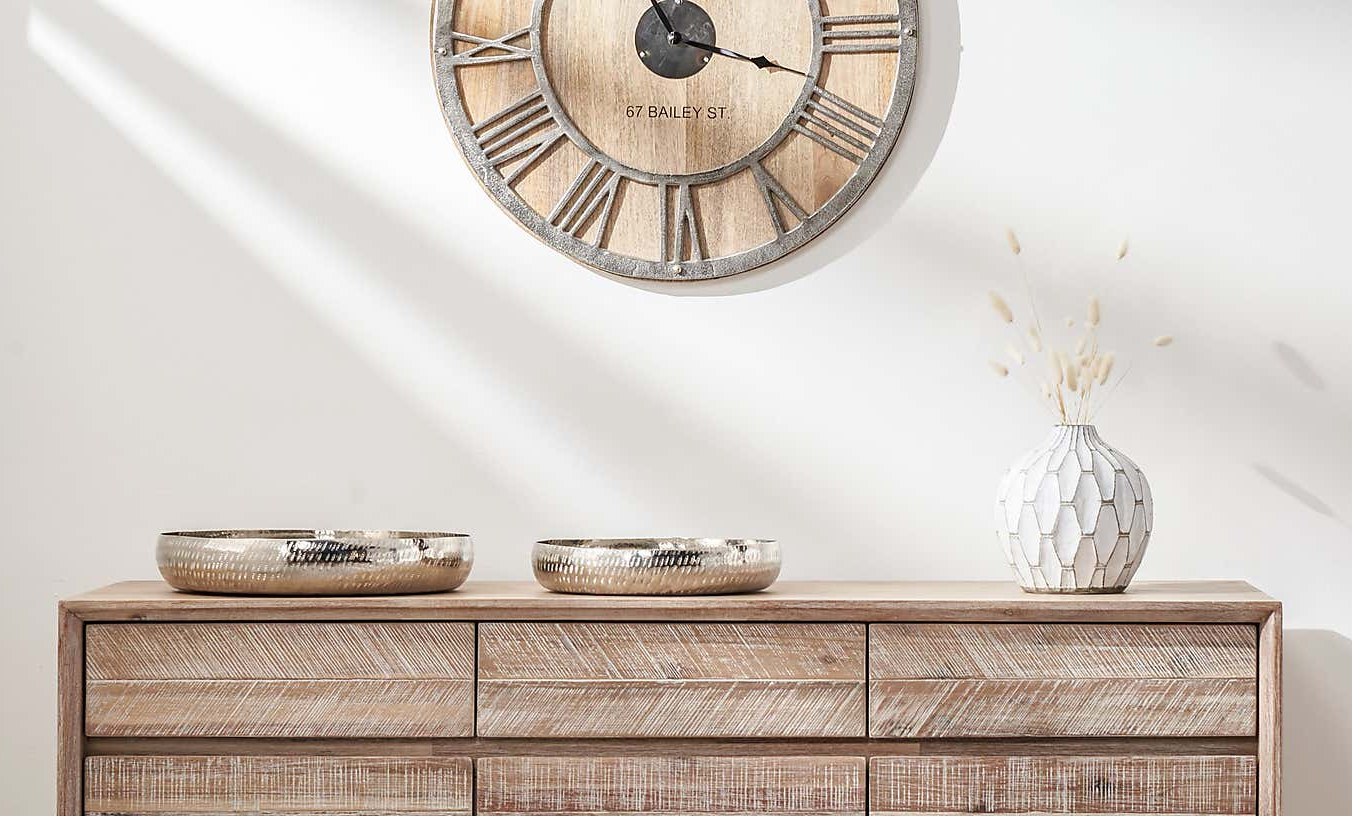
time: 12:17
